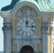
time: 12:14
